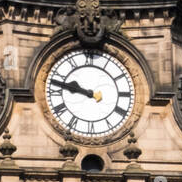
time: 9:47
